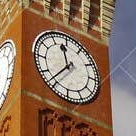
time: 11:36
